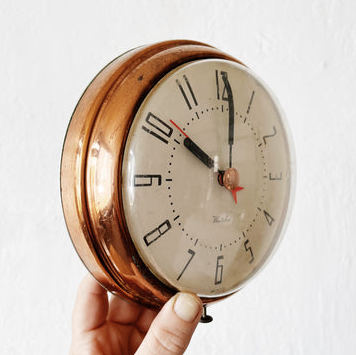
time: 10:01
